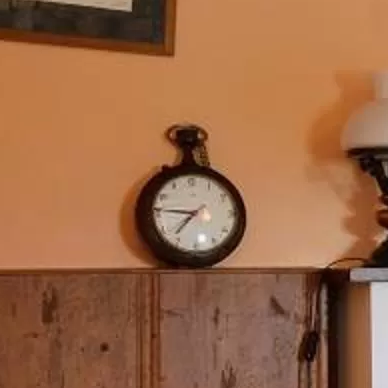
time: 7:46
